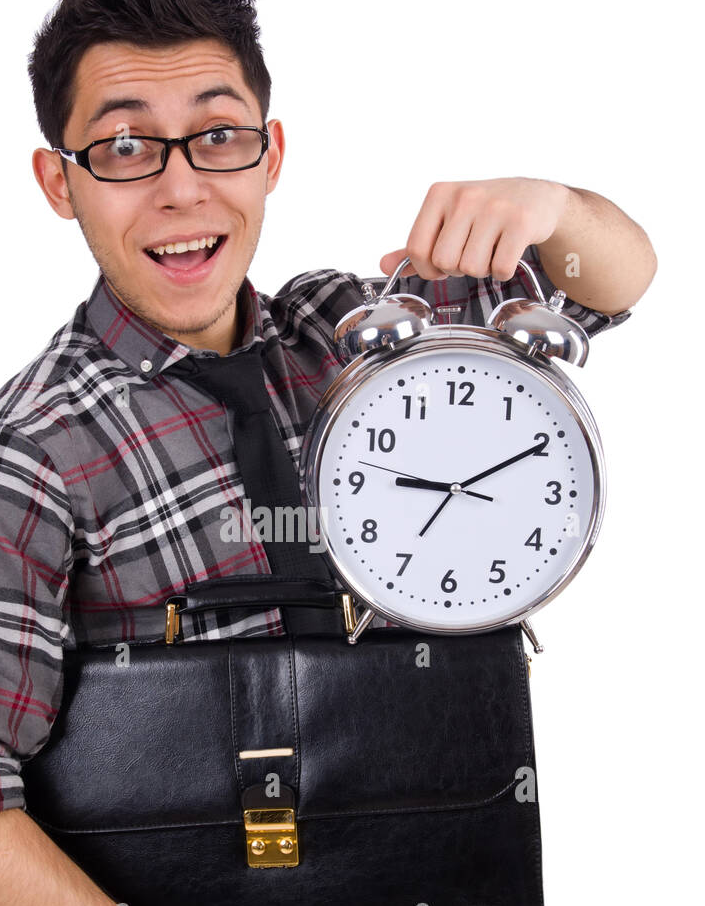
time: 9:10
